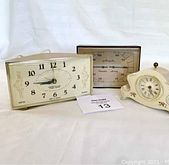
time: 8:45
